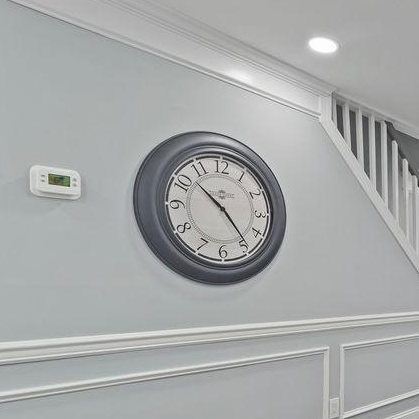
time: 10:24
